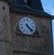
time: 4:22
